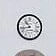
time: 10:43
